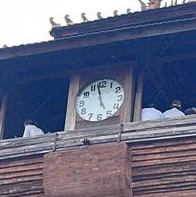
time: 4:57
